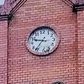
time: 9:36
